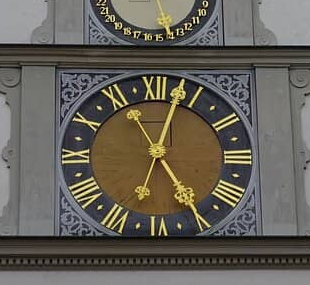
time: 5:03
